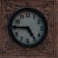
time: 4:45
